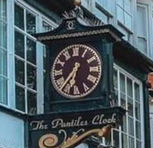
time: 6:36
